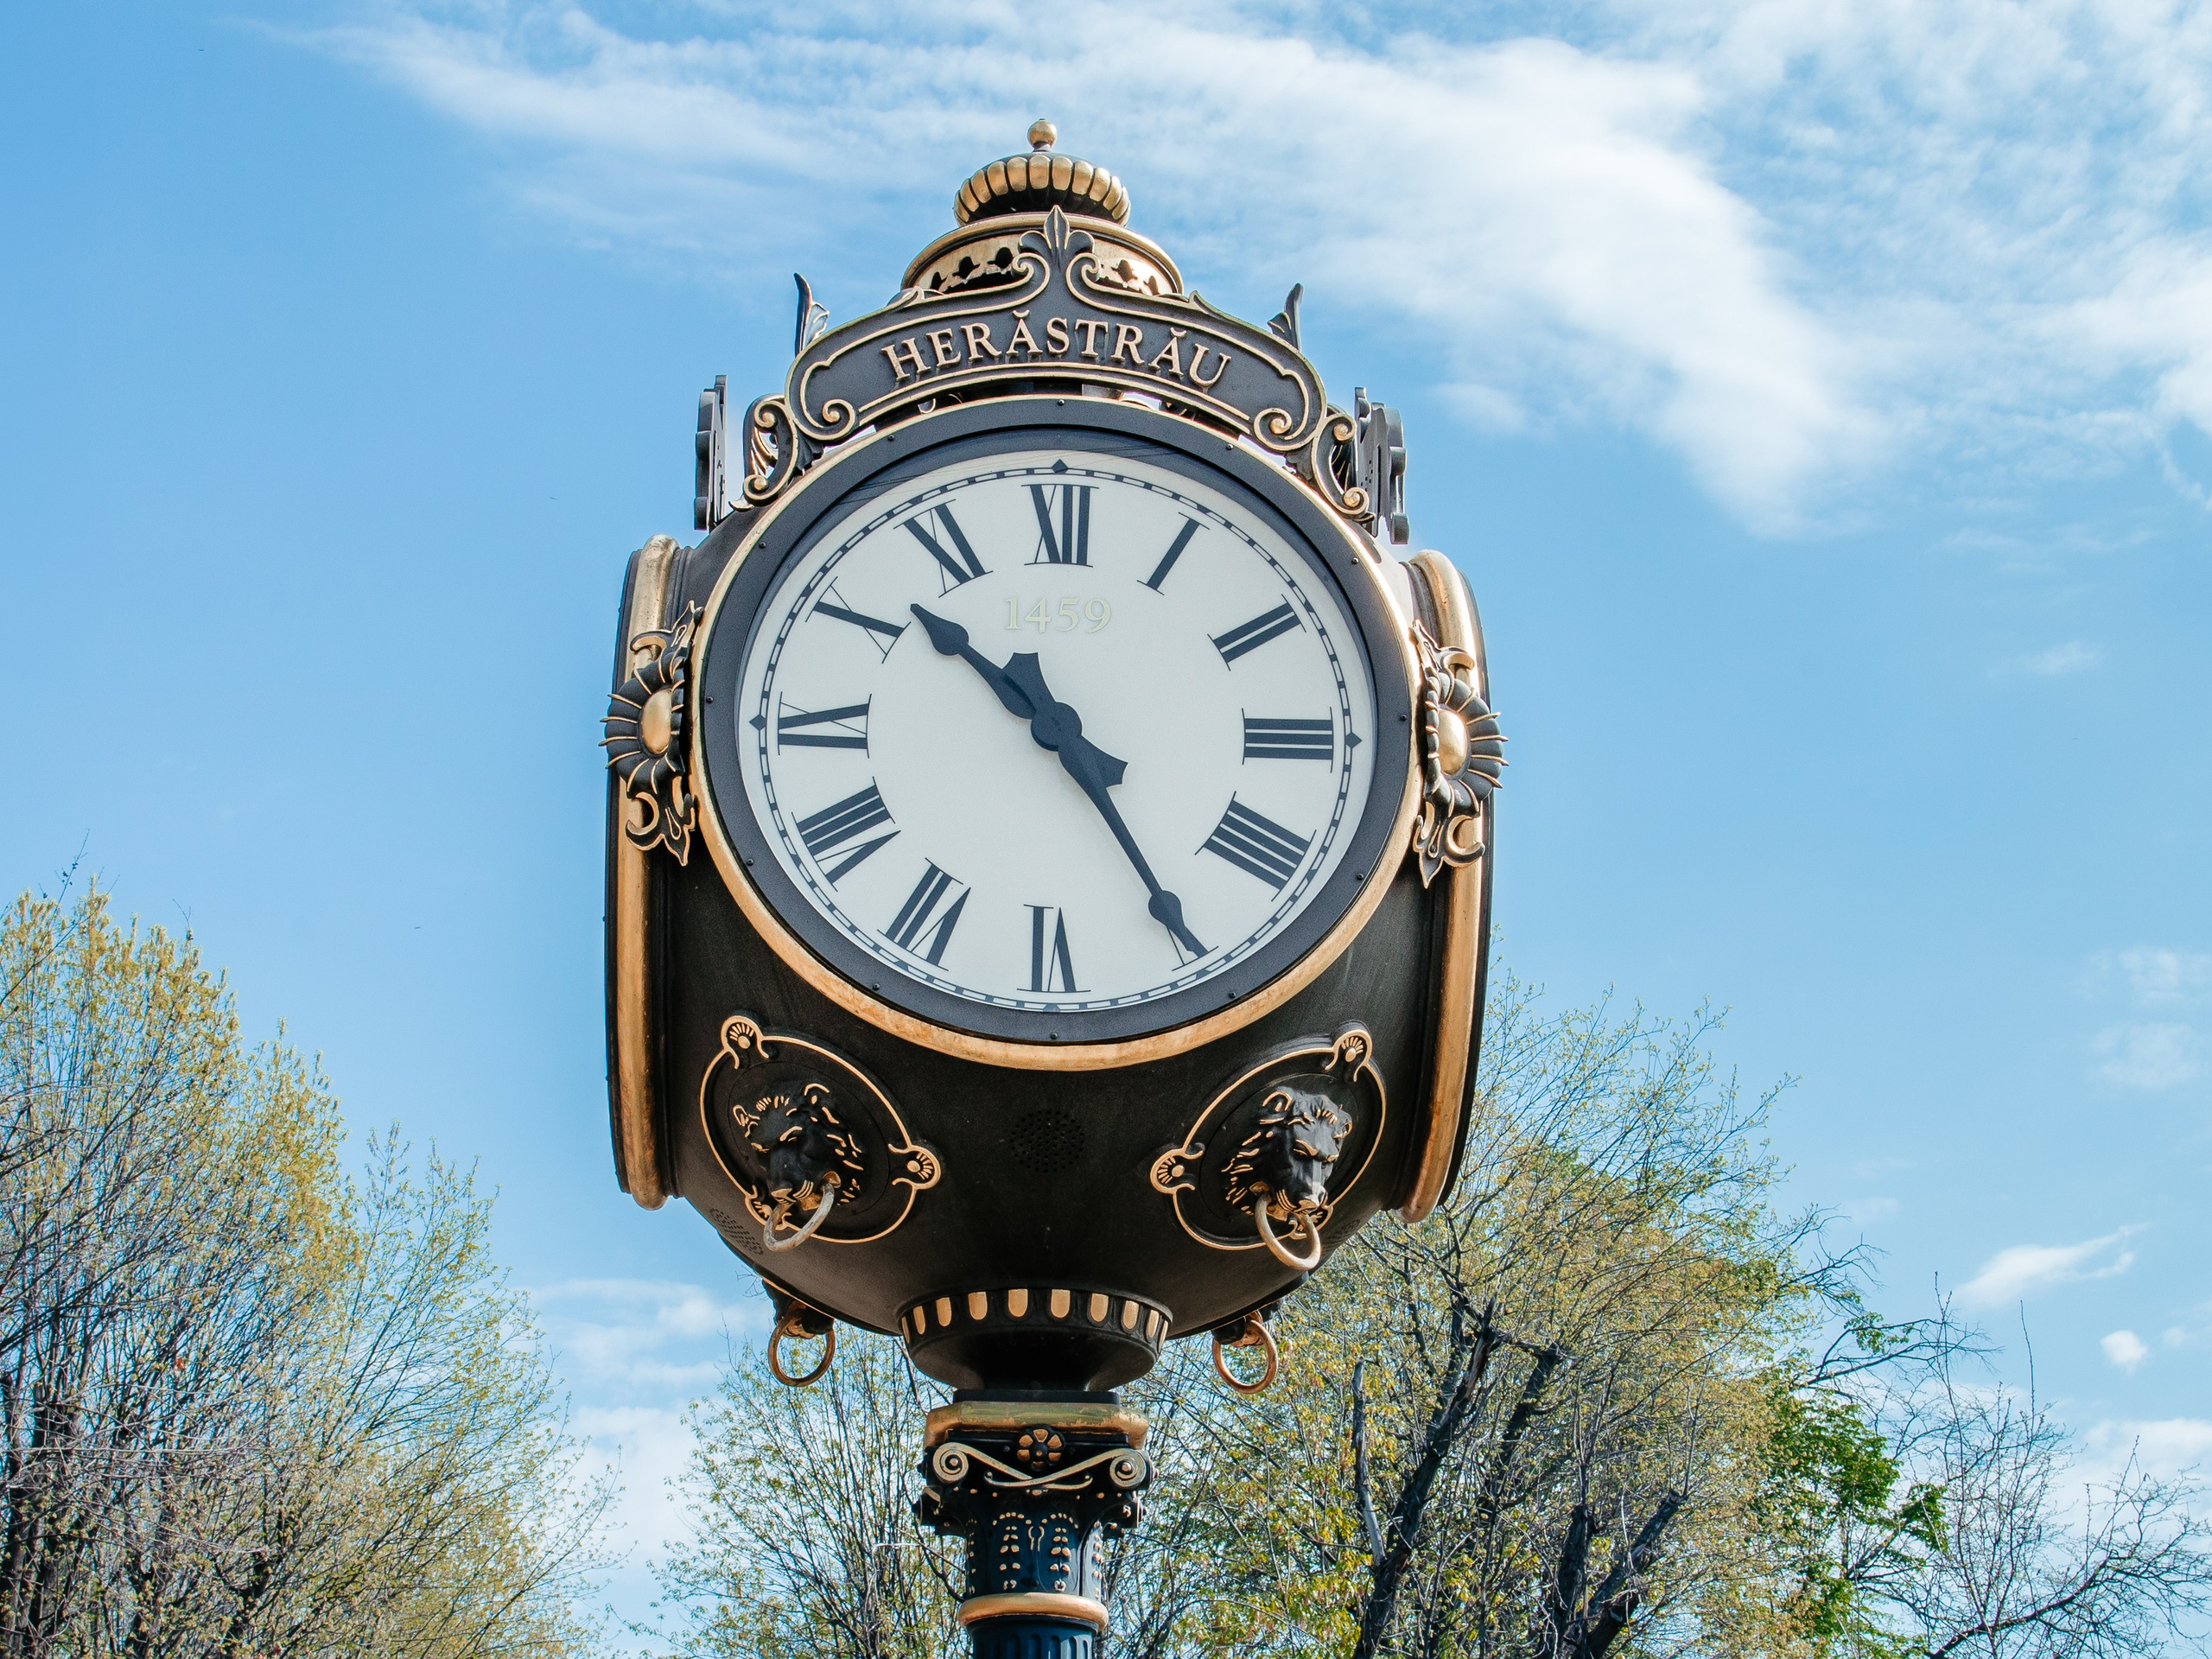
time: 10:24
